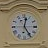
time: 12:24
